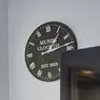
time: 1:13
